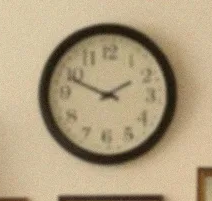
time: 1:48
